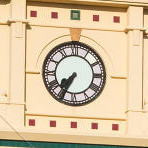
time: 7:34
